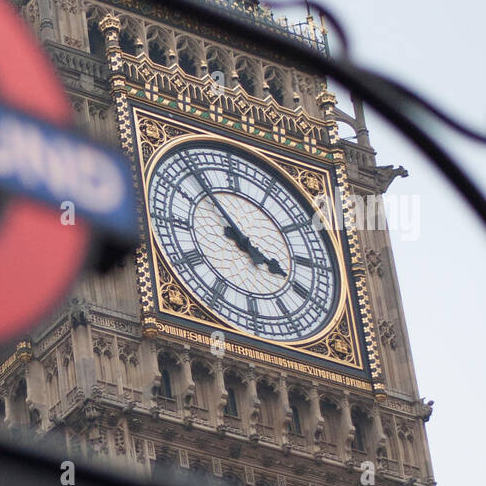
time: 3:53
